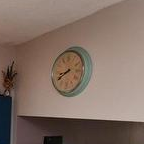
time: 8:40
